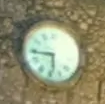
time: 5:44
